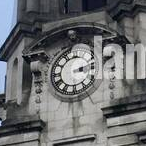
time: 3:13
